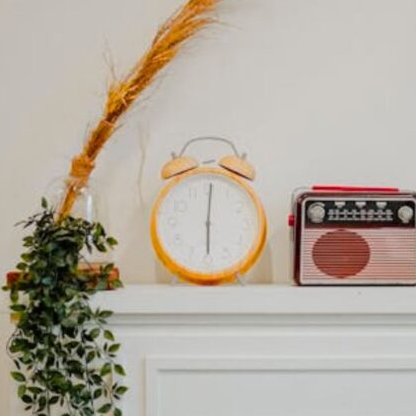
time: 6:01
